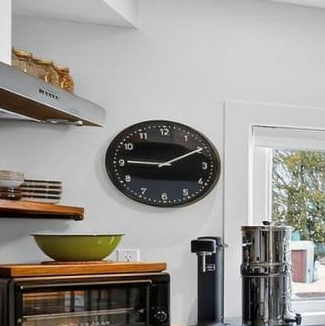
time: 9:10
